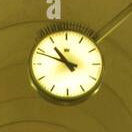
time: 10:48
